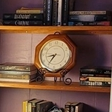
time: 8:35
